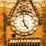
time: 4:59
